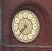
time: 7:36
